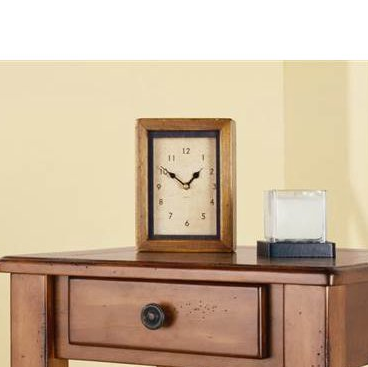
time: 1:49
